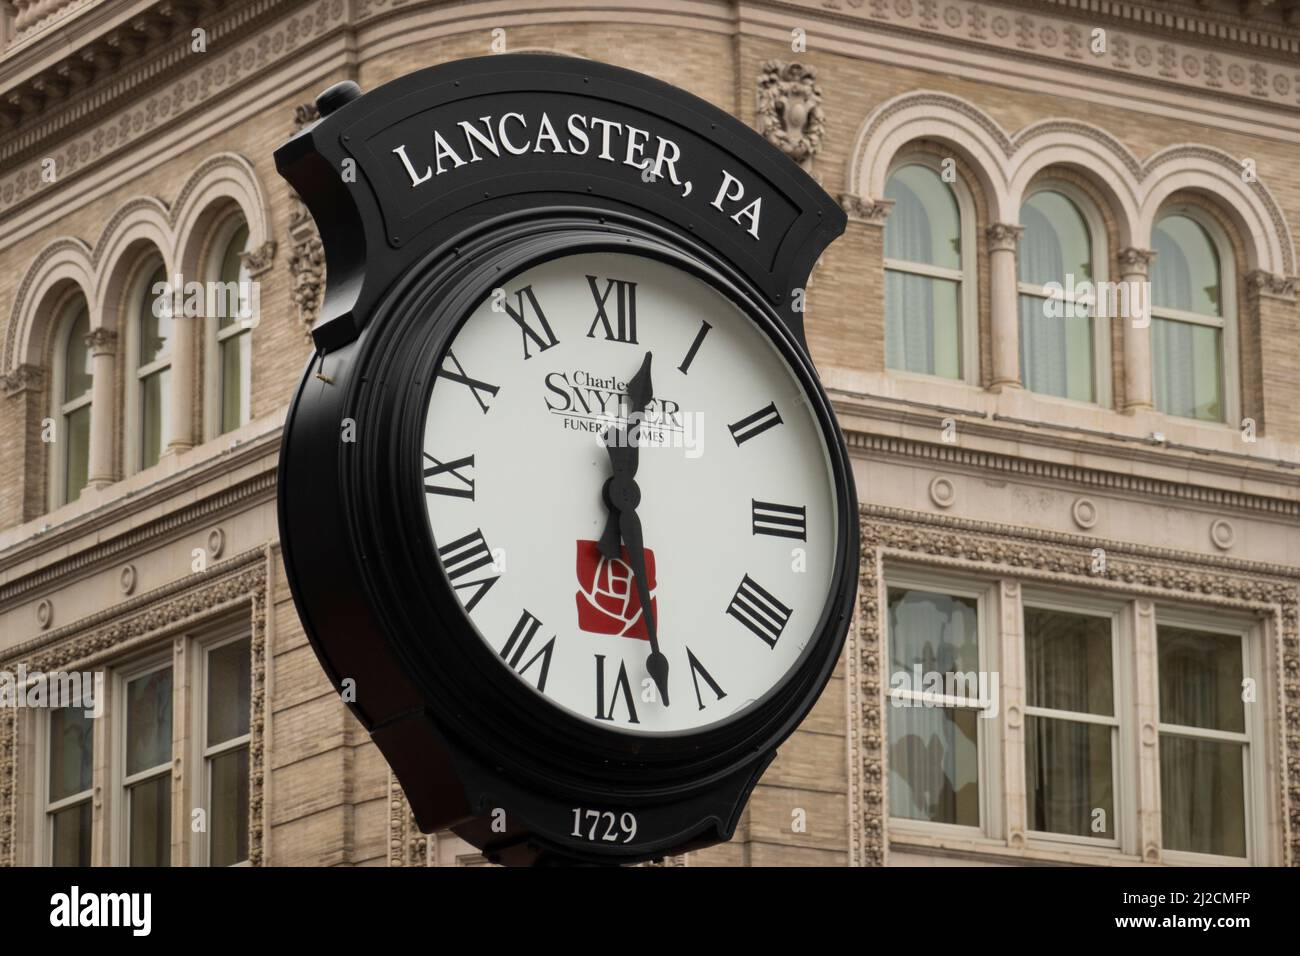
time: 12:27
